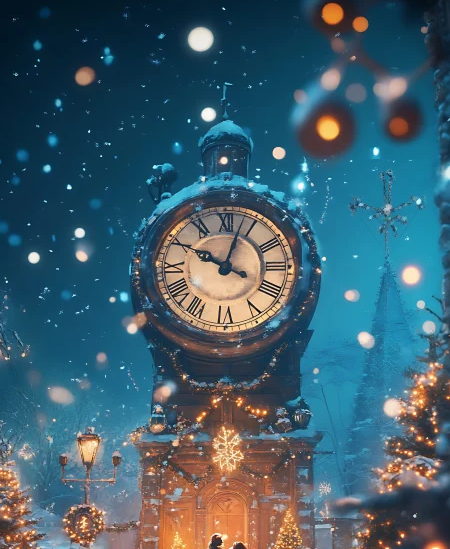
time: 10:02
